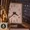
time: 3:40
